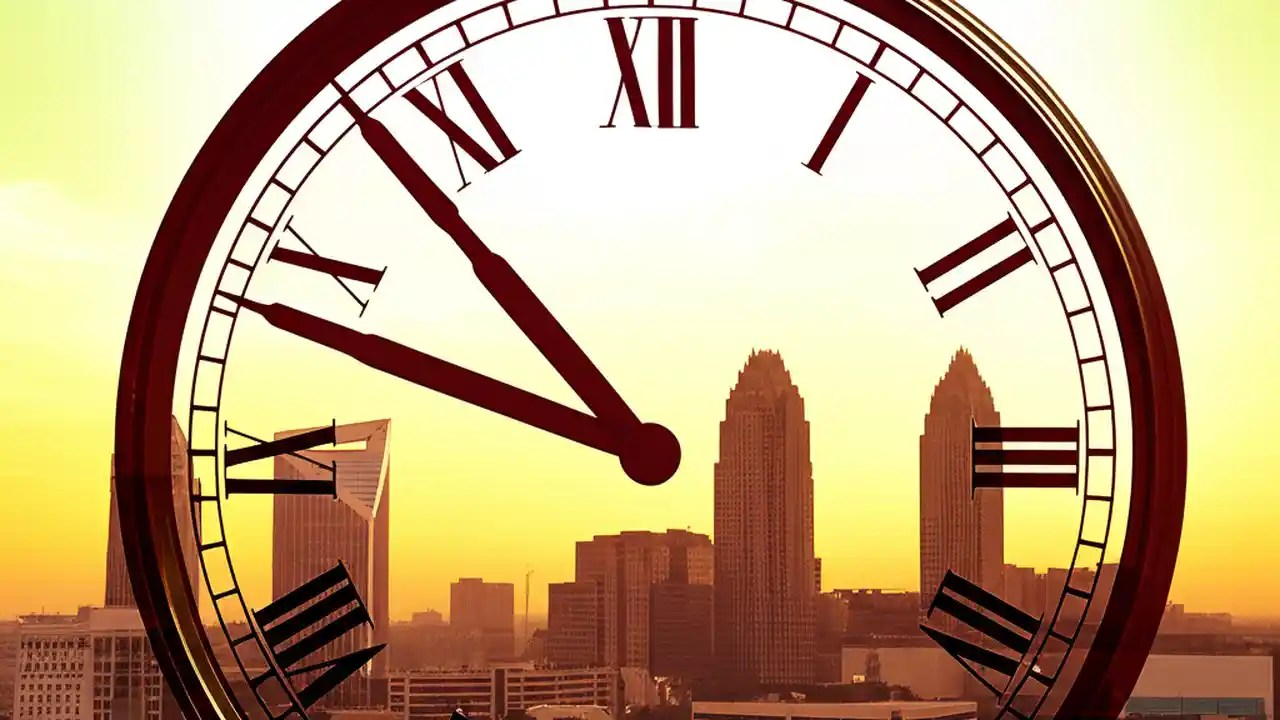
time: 10:48
